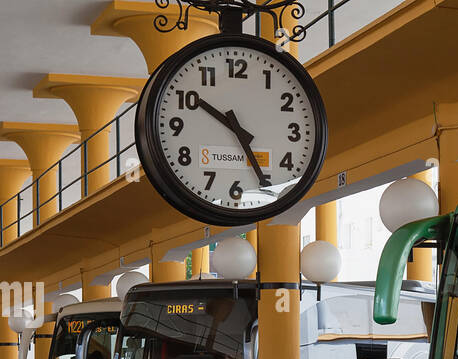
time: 10:25
